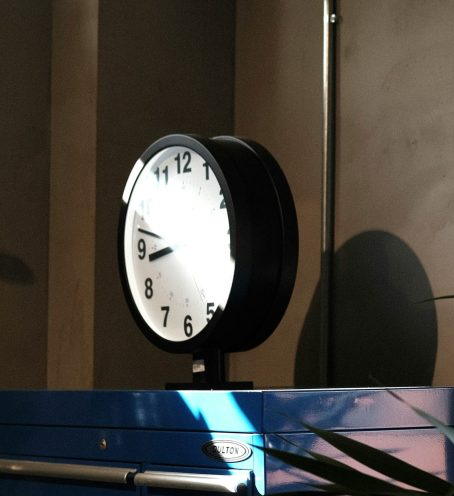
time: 8:47
